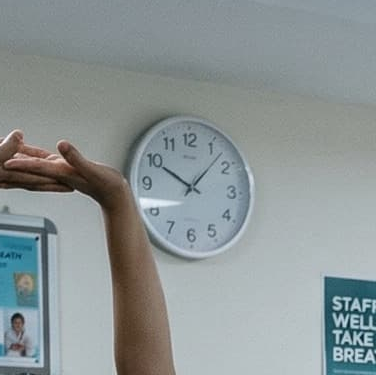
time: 10:07
